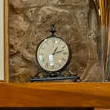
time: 1:12
